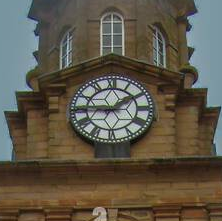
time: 1:45
